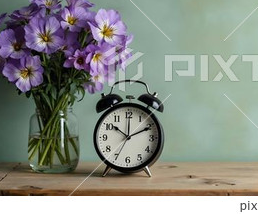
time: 10:10
